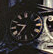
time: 9:36
